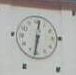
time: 12:32
